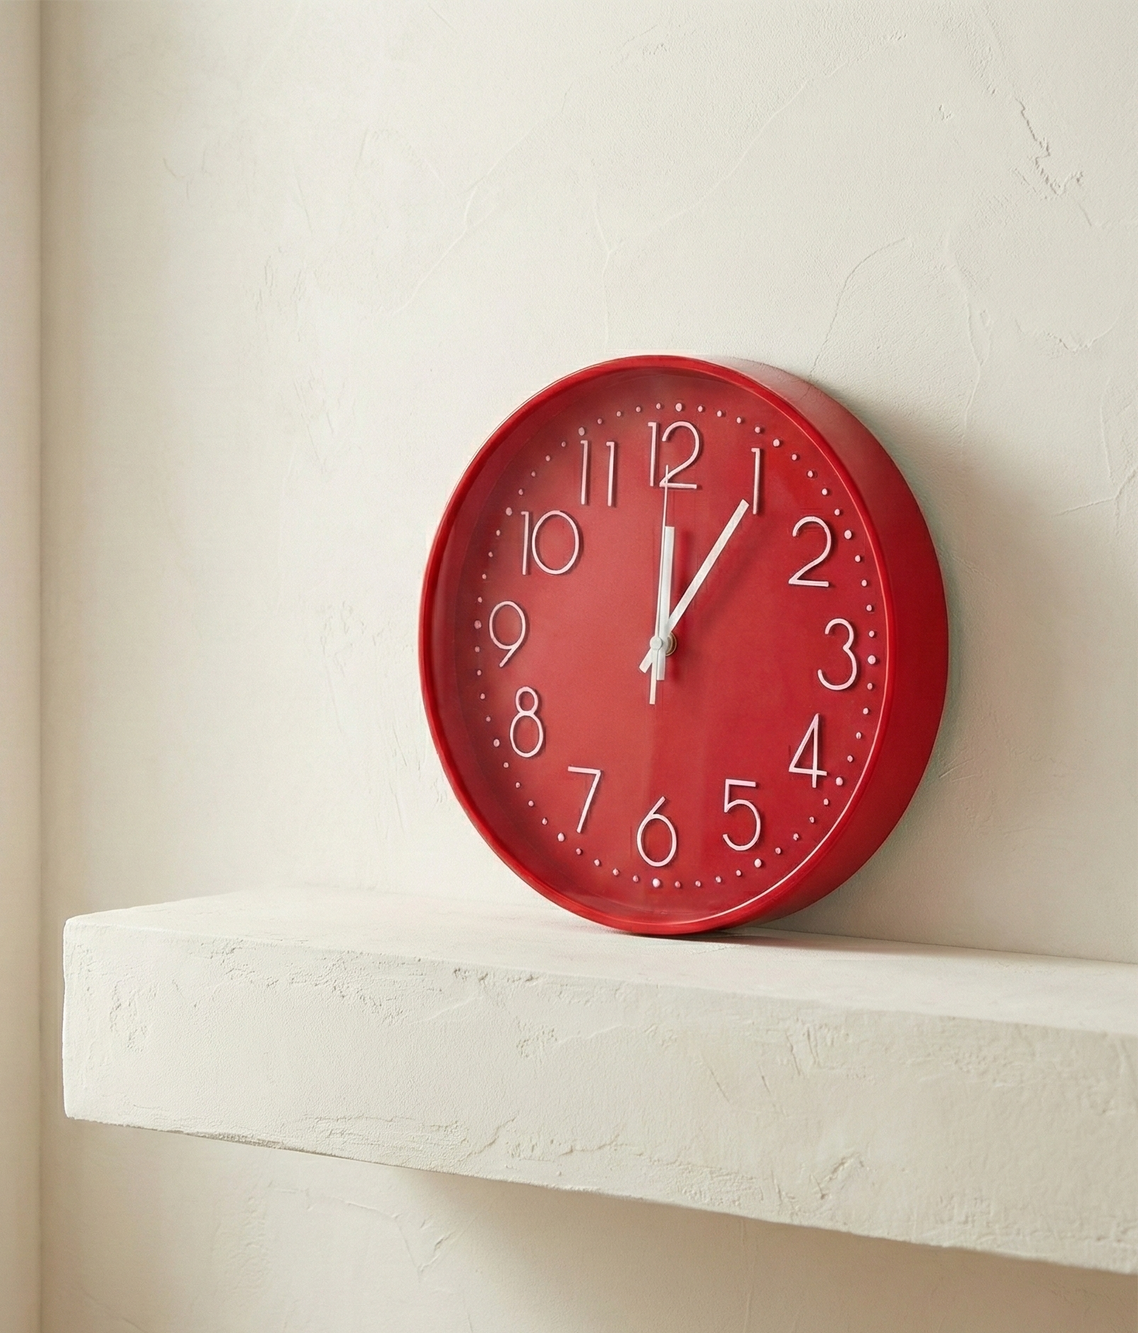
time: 12:05
